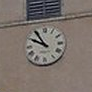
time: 9:54
